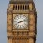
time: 8:12
